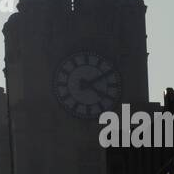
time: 4:09
